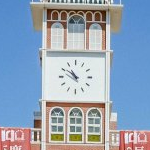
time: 10:50
